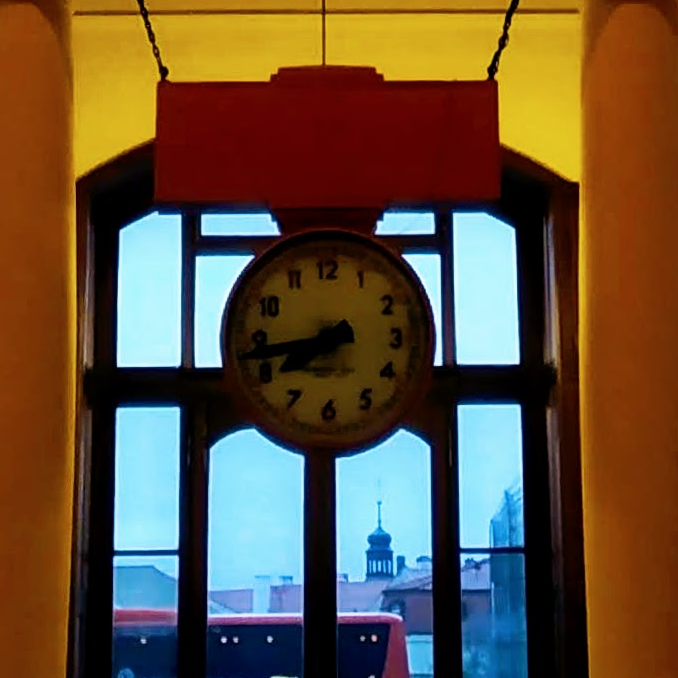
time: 7:43
